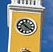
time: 10:20
